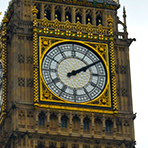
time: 2:09
